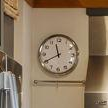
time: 11:40
